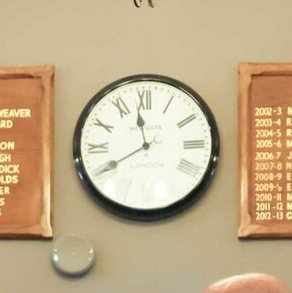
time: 11:40
